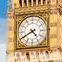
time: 4:40
